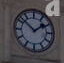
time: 1:51
